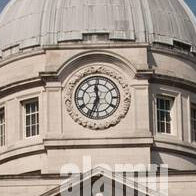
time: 11:33
